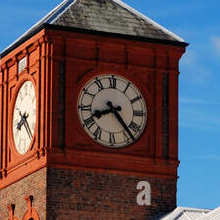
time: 8:23
